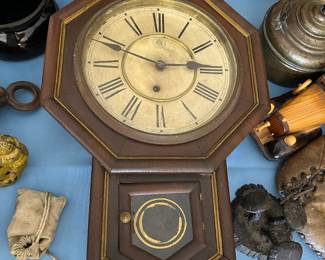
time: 2:48
